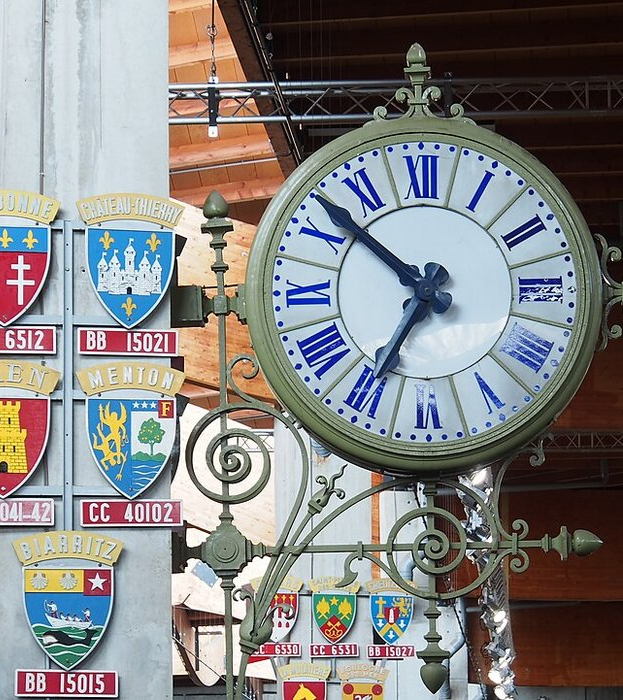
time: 6:52
